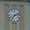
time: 7:11
